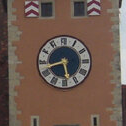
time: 5:42
